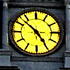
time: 4:52
